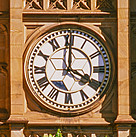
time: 4:00
